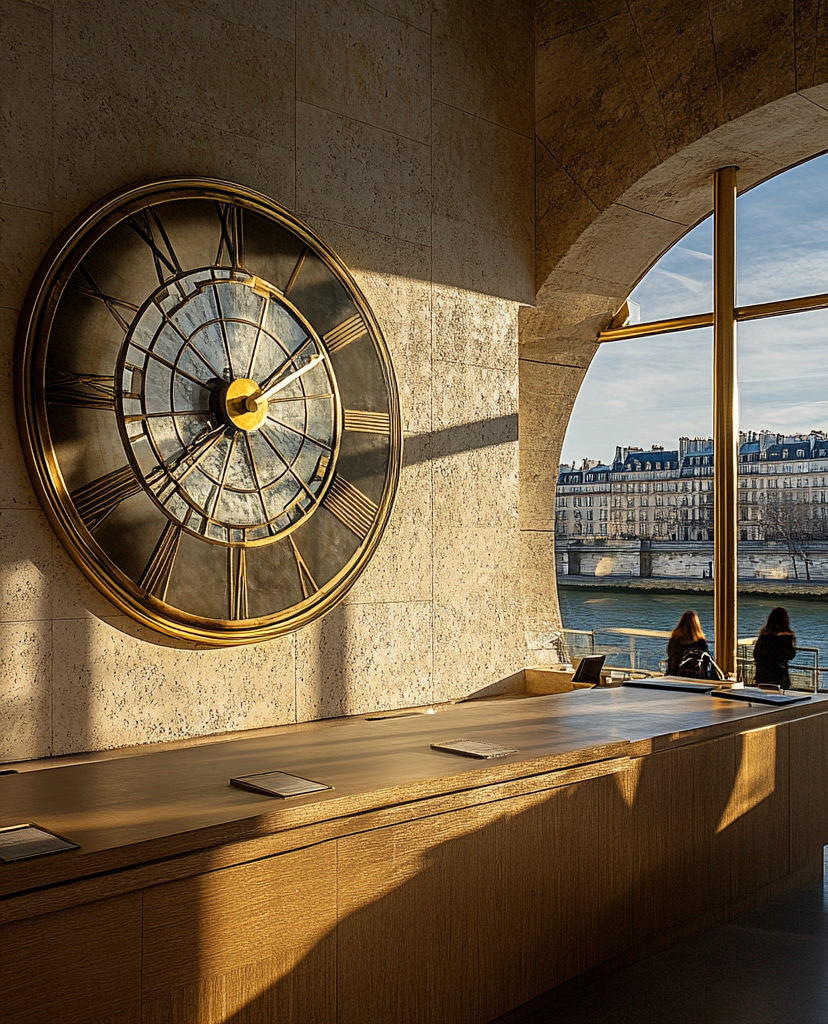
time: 9:38
